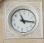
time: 11:15
